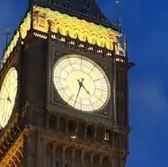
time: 4:32
